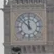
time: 11:52
